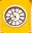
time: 10:41
